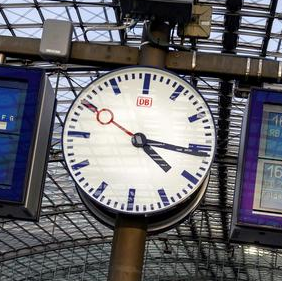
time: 4:16
